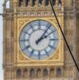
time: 2:06
